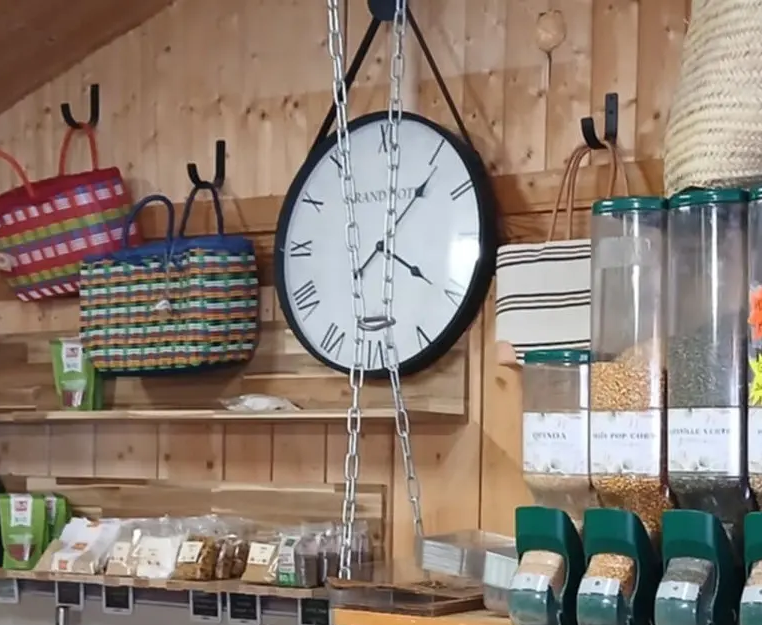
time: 4:06
